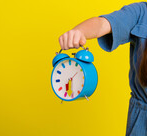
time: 6:30
